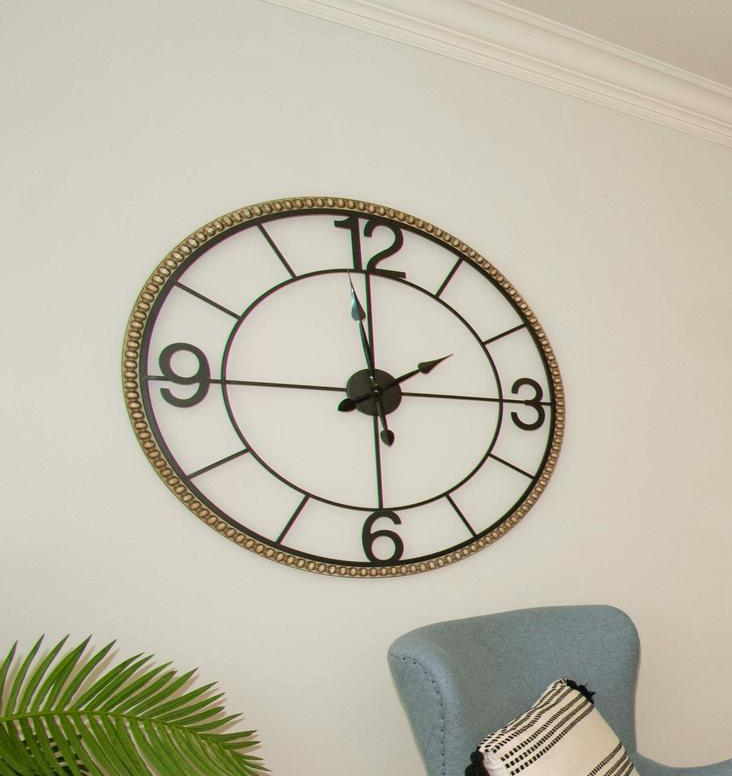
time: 1:59
